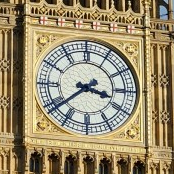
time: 3:38
